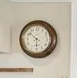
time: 10:30
